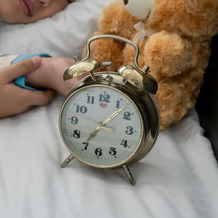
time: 7:07
